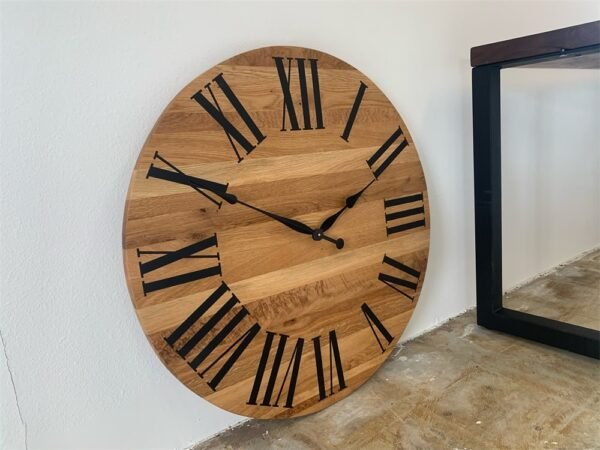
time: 1:50
